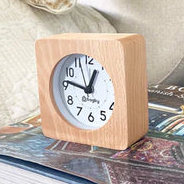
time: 12:46
